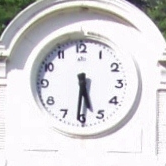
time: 5:31
